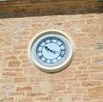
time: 10:17
